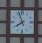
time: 7:56
